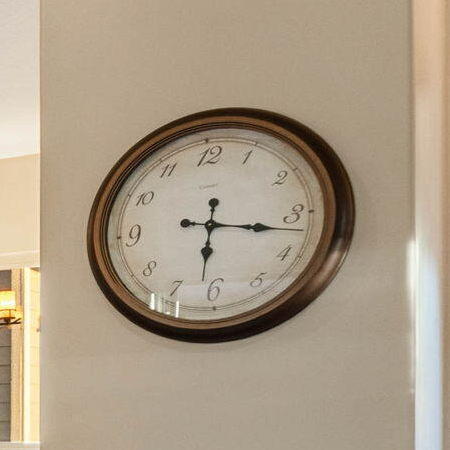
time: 6:17
